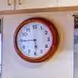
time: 5:45
